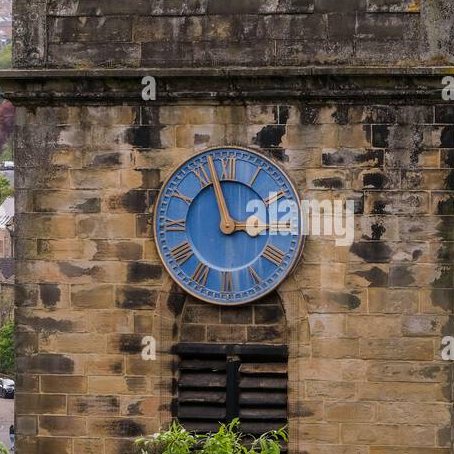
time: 2:57
